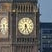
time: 6:25
